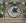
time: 4:07
